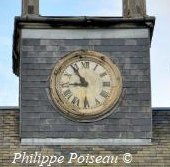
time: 8:54
